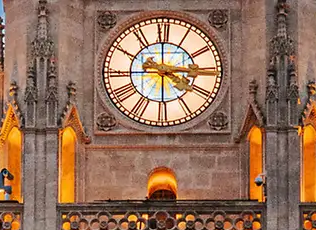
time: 3:29
